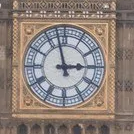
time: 2:57
